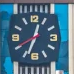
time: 12:33
